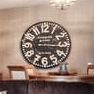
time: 3:15
